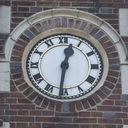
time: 12:31
